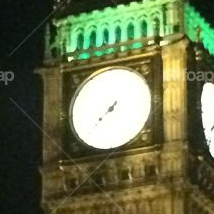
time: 7:37
